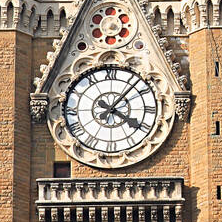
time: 4:07
